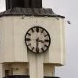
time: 3:31
